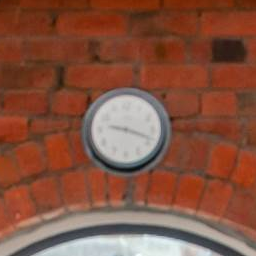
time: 9:18
